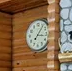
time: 3:06
